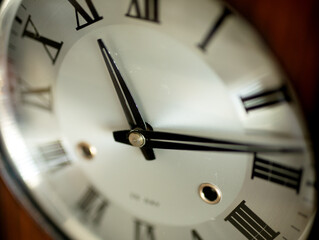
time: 11:13
